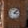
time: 4:07
